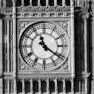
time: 11:21
